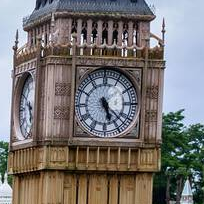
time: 5:22
